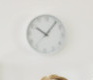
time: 10:05
